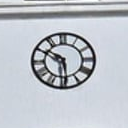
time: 5:50
